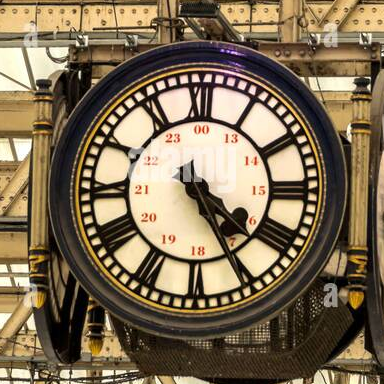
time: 4:25
